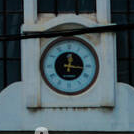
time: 12:16
